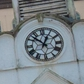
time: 12:52
